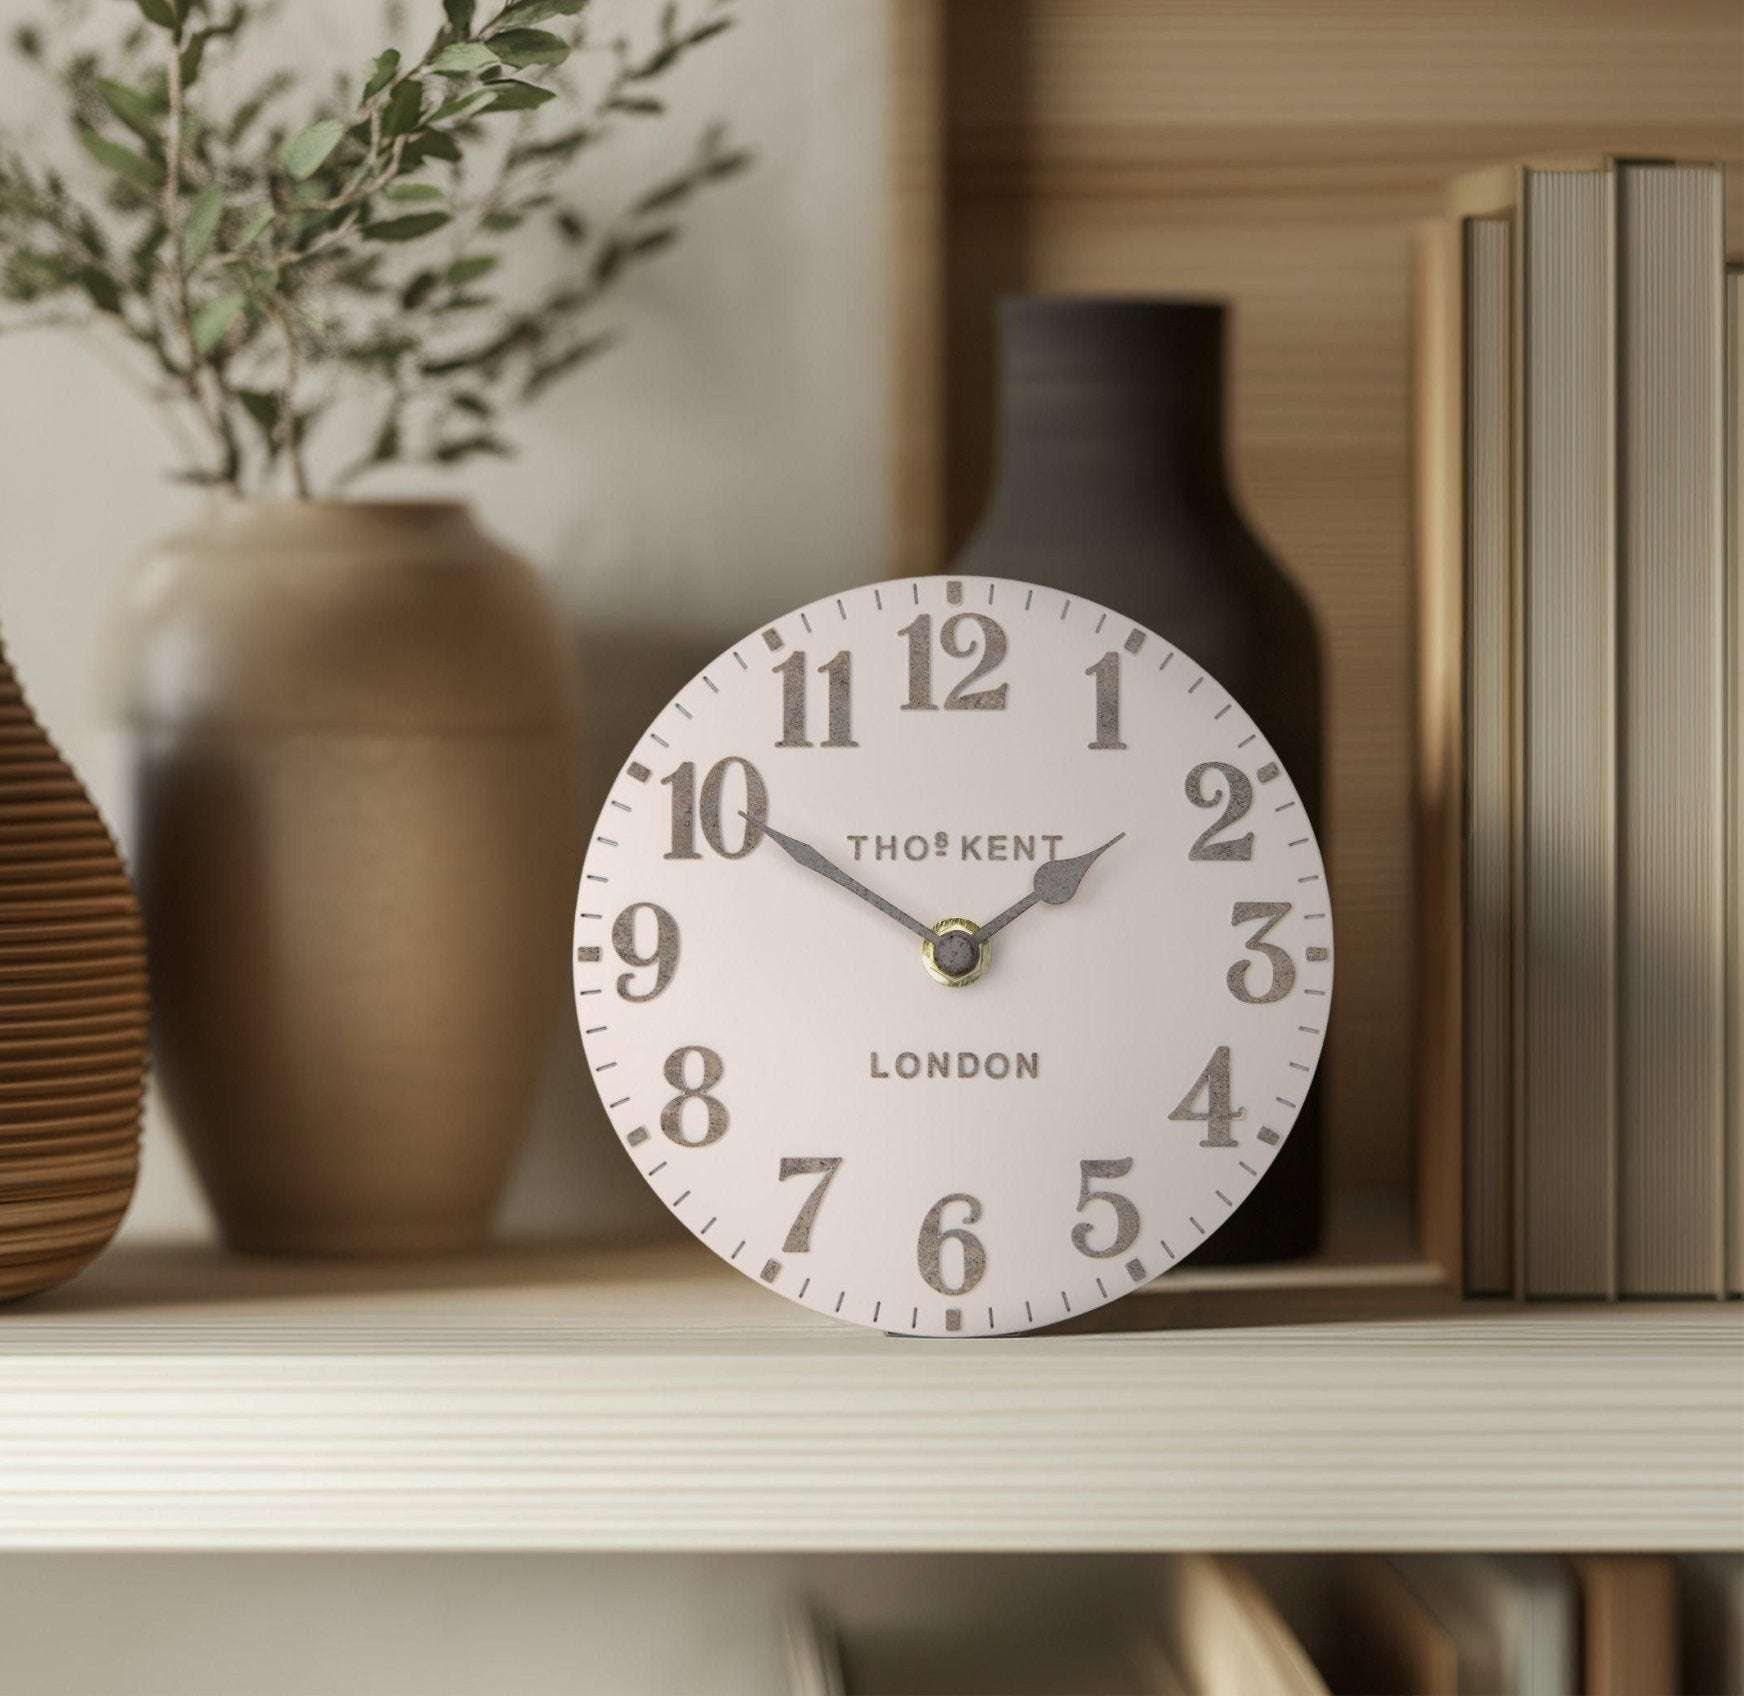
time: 1:50
